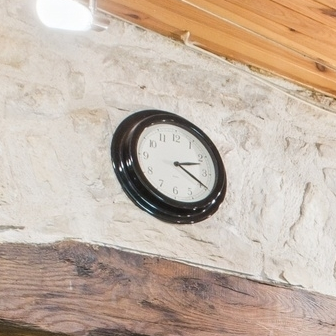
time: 2:19
